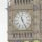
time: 11:25
